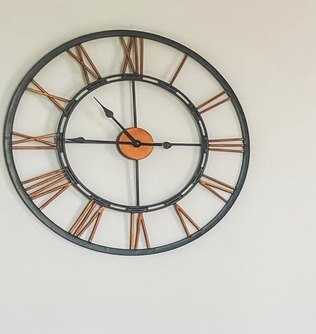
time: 10:45
